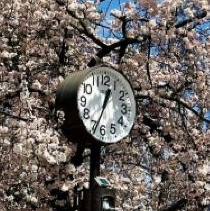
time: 12:33
